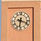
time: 6:18
